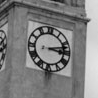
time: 3:12
